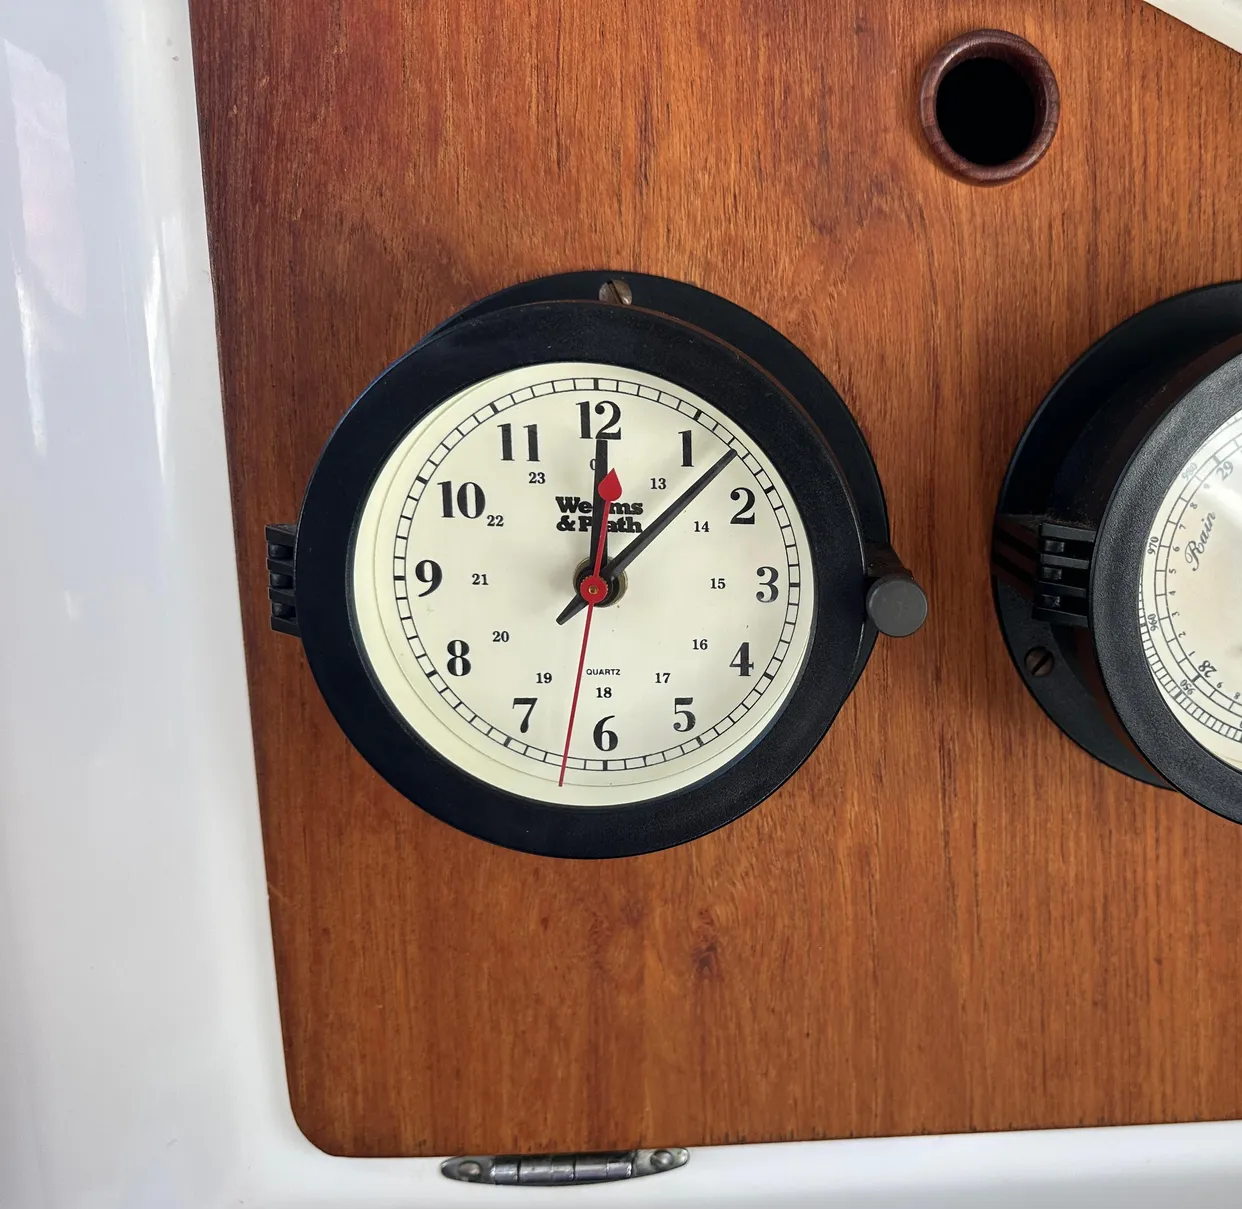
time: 12:07
